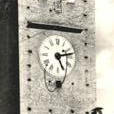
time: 5:12
